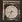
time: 8:34
